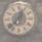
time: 12:37
